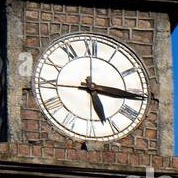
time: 5:15
